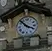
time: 3:52
